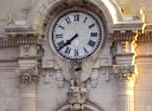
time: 7:38
